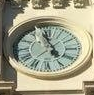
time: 4:57
